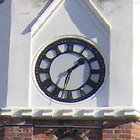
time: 1:32
